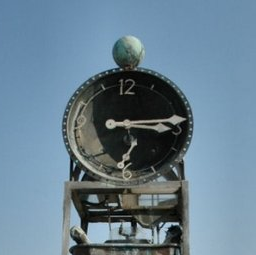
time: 3:13
